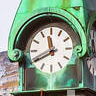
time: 11:40
